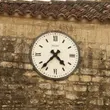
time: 4:37
